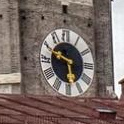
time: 5:49
